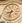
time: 8:32
